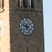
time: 9:26
